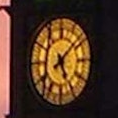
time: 5:08
